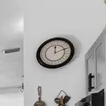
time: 12:11
